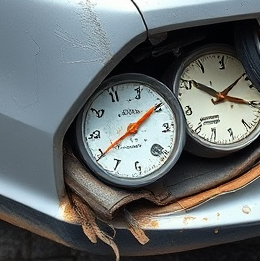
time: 1:39
